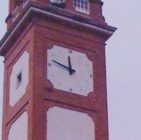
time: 11:47
